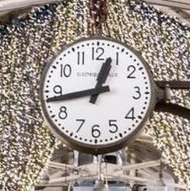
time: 12:43
